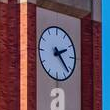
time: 2:22
